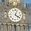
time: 4:03
